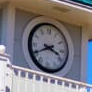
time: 3:40
